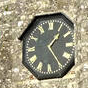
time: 1:24
